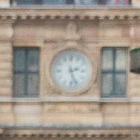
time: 2:26
